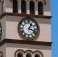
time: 1:18
